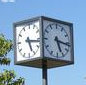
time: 5:16
